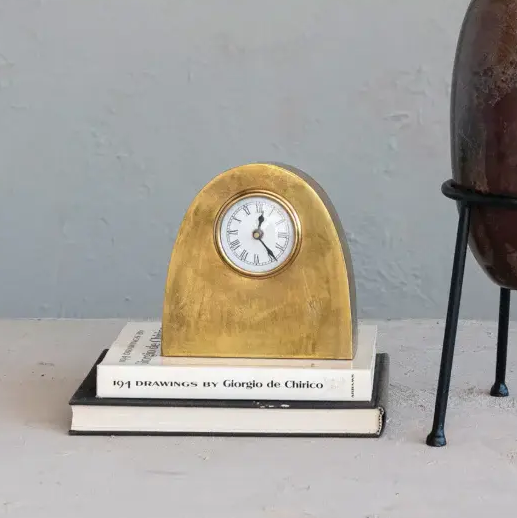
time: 12:23
